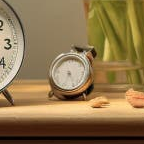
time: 5:33
